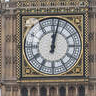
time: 12:02
